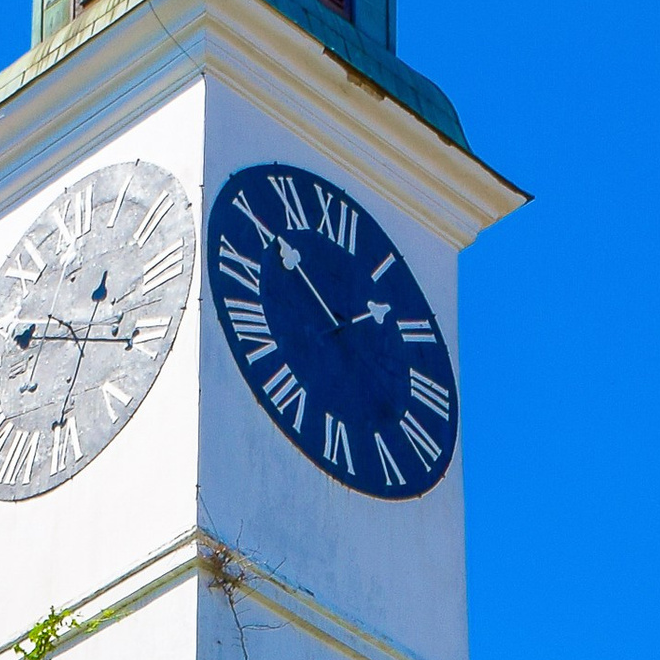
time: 1:50
